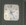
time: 2:24
